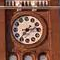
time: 7:12
